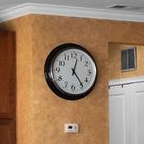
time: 12:23
